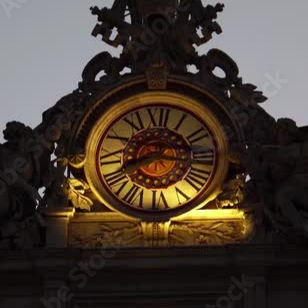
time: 8:16
